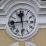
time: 11:44
